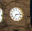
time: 7:13
